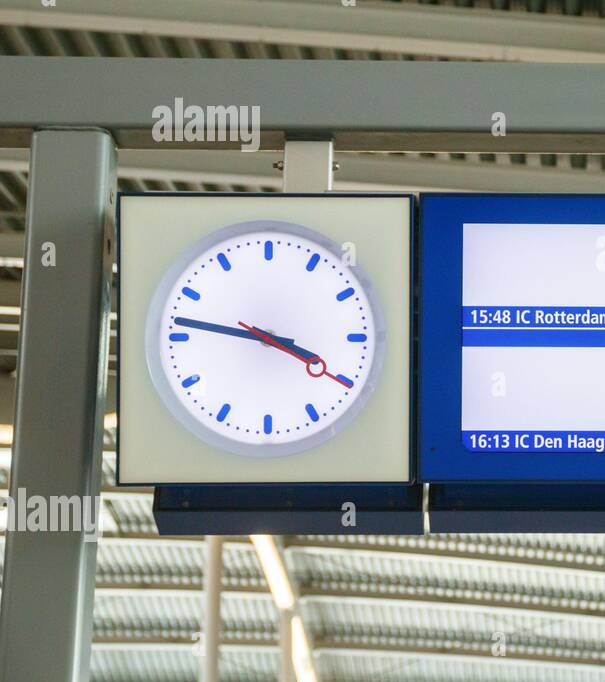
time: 3:46
